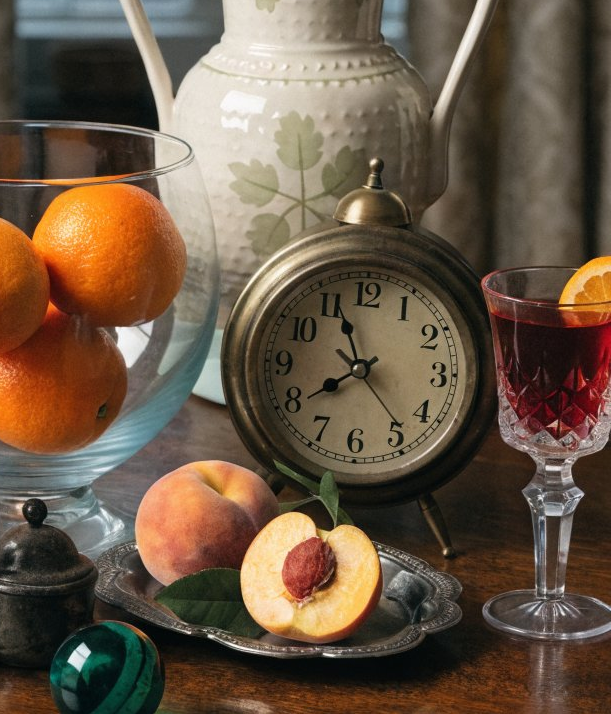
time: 7:56
